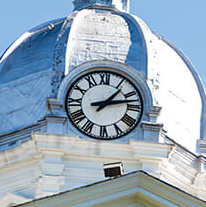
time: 1:12
